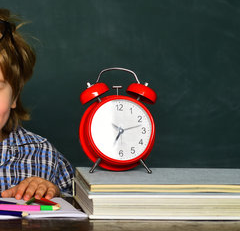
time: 7:12
